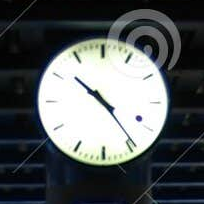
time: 10:24
